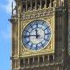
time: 11:46
